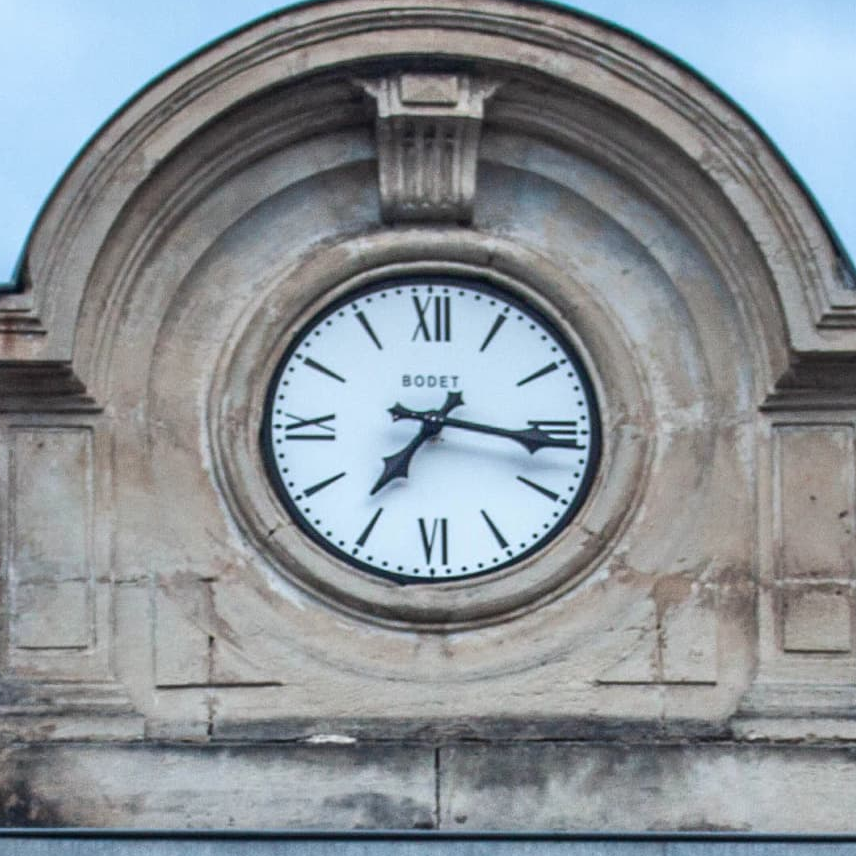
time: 7:16
